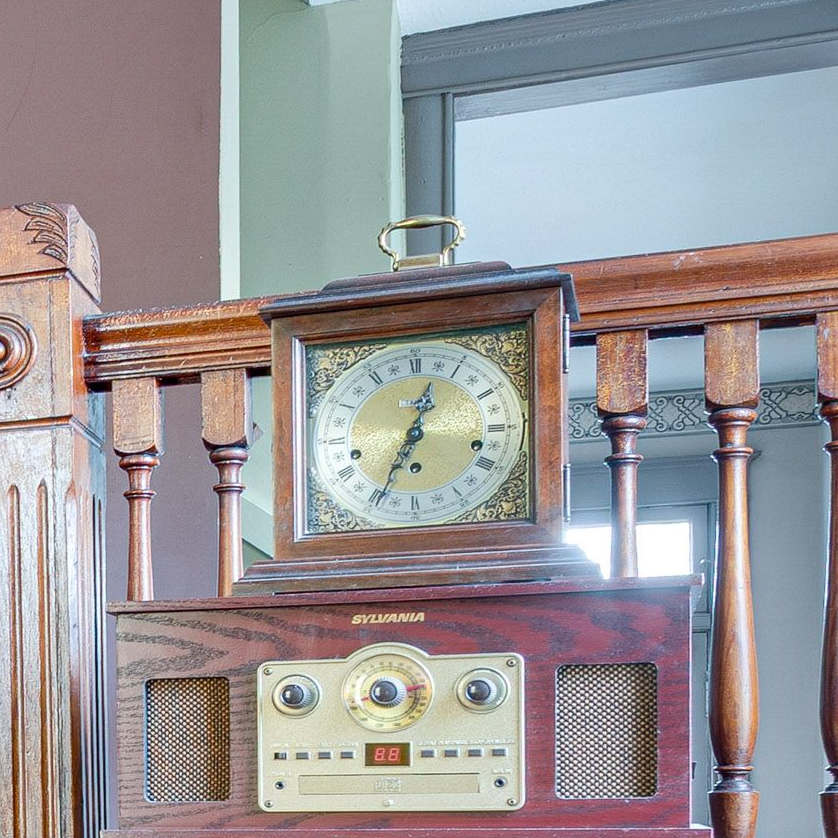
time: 12:34
